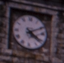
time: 4:10
